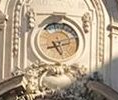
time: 5:11
